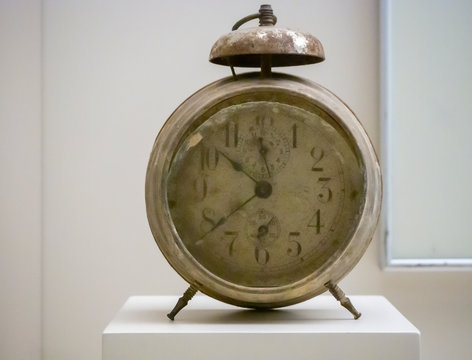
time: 10:38
